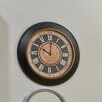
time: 10:00
